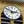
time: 2:50
